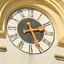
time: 2:26
